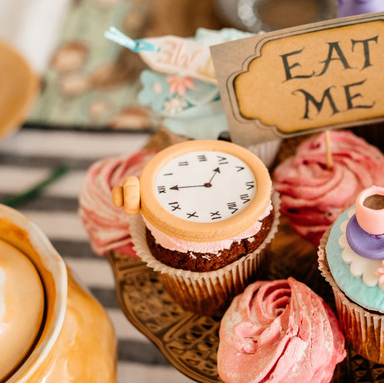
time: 12:45
